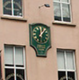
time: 12:07
